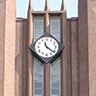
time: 11:21
